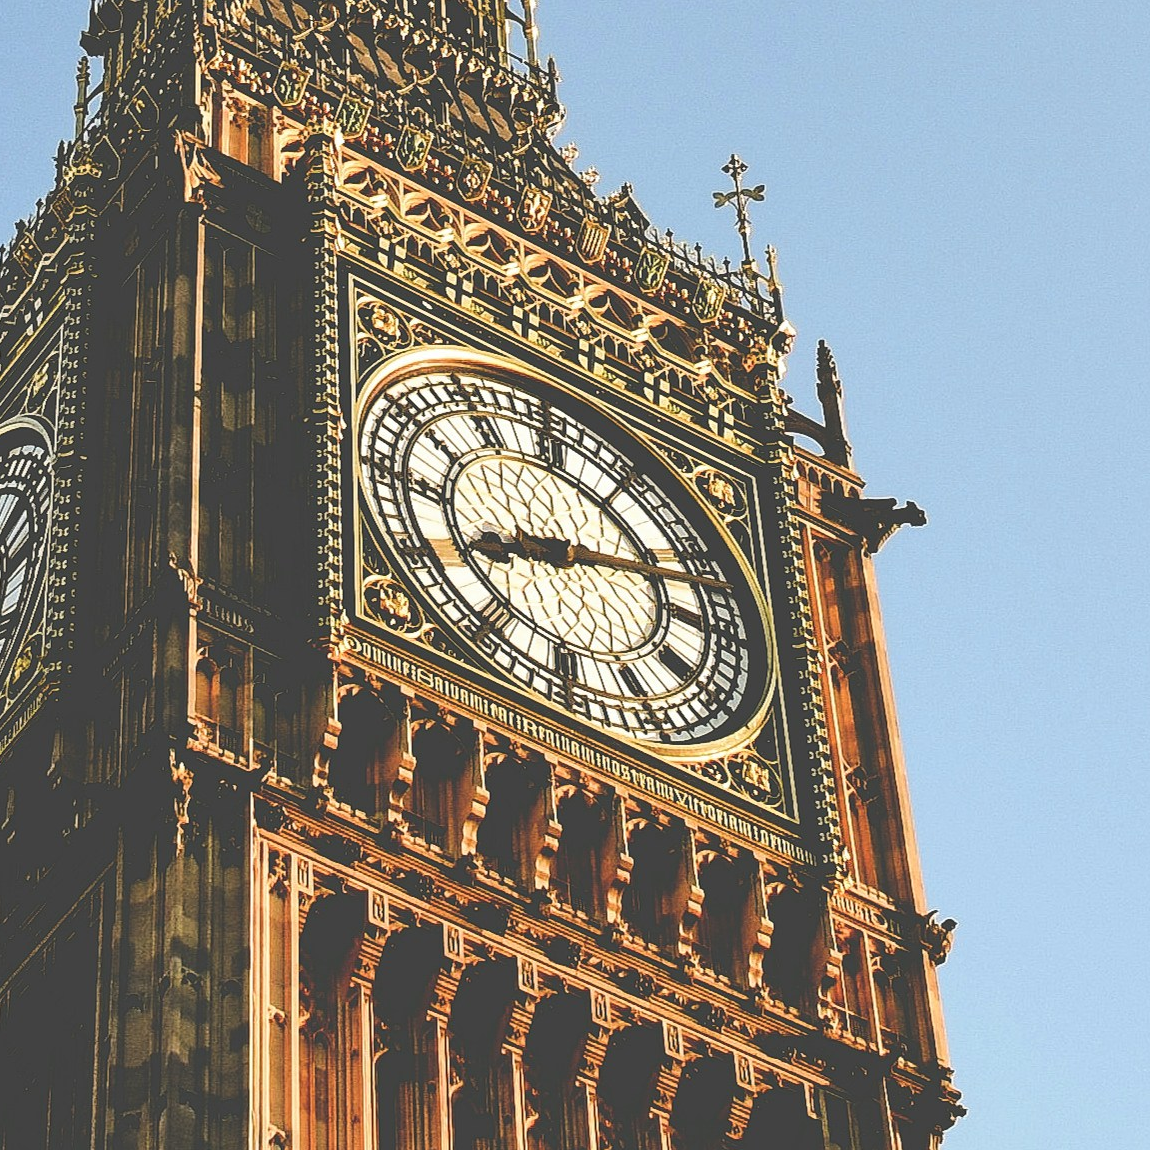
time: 8:12
